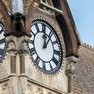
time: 12:06
